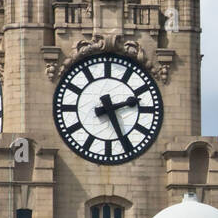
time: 2:26
